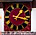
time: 1:17
